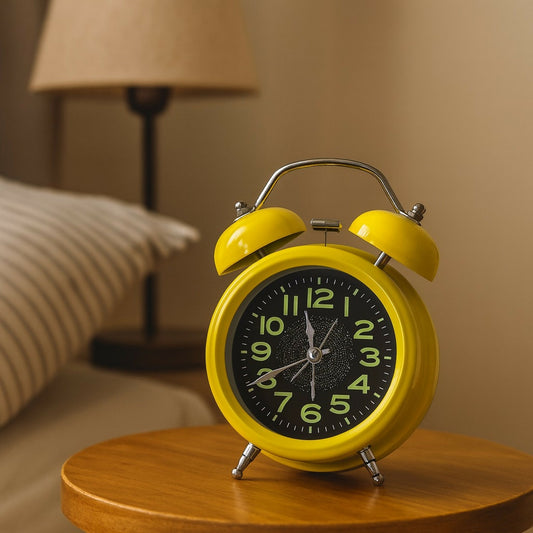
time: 11:40
